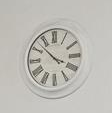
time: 3:52
